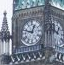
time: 12:47
